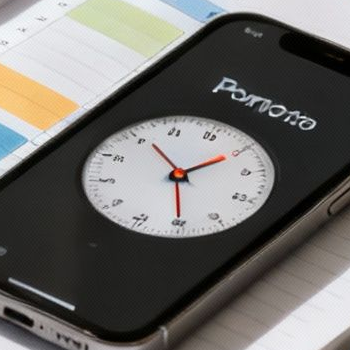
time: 1:56
